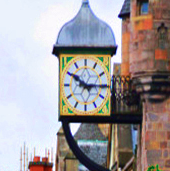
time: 10:14
